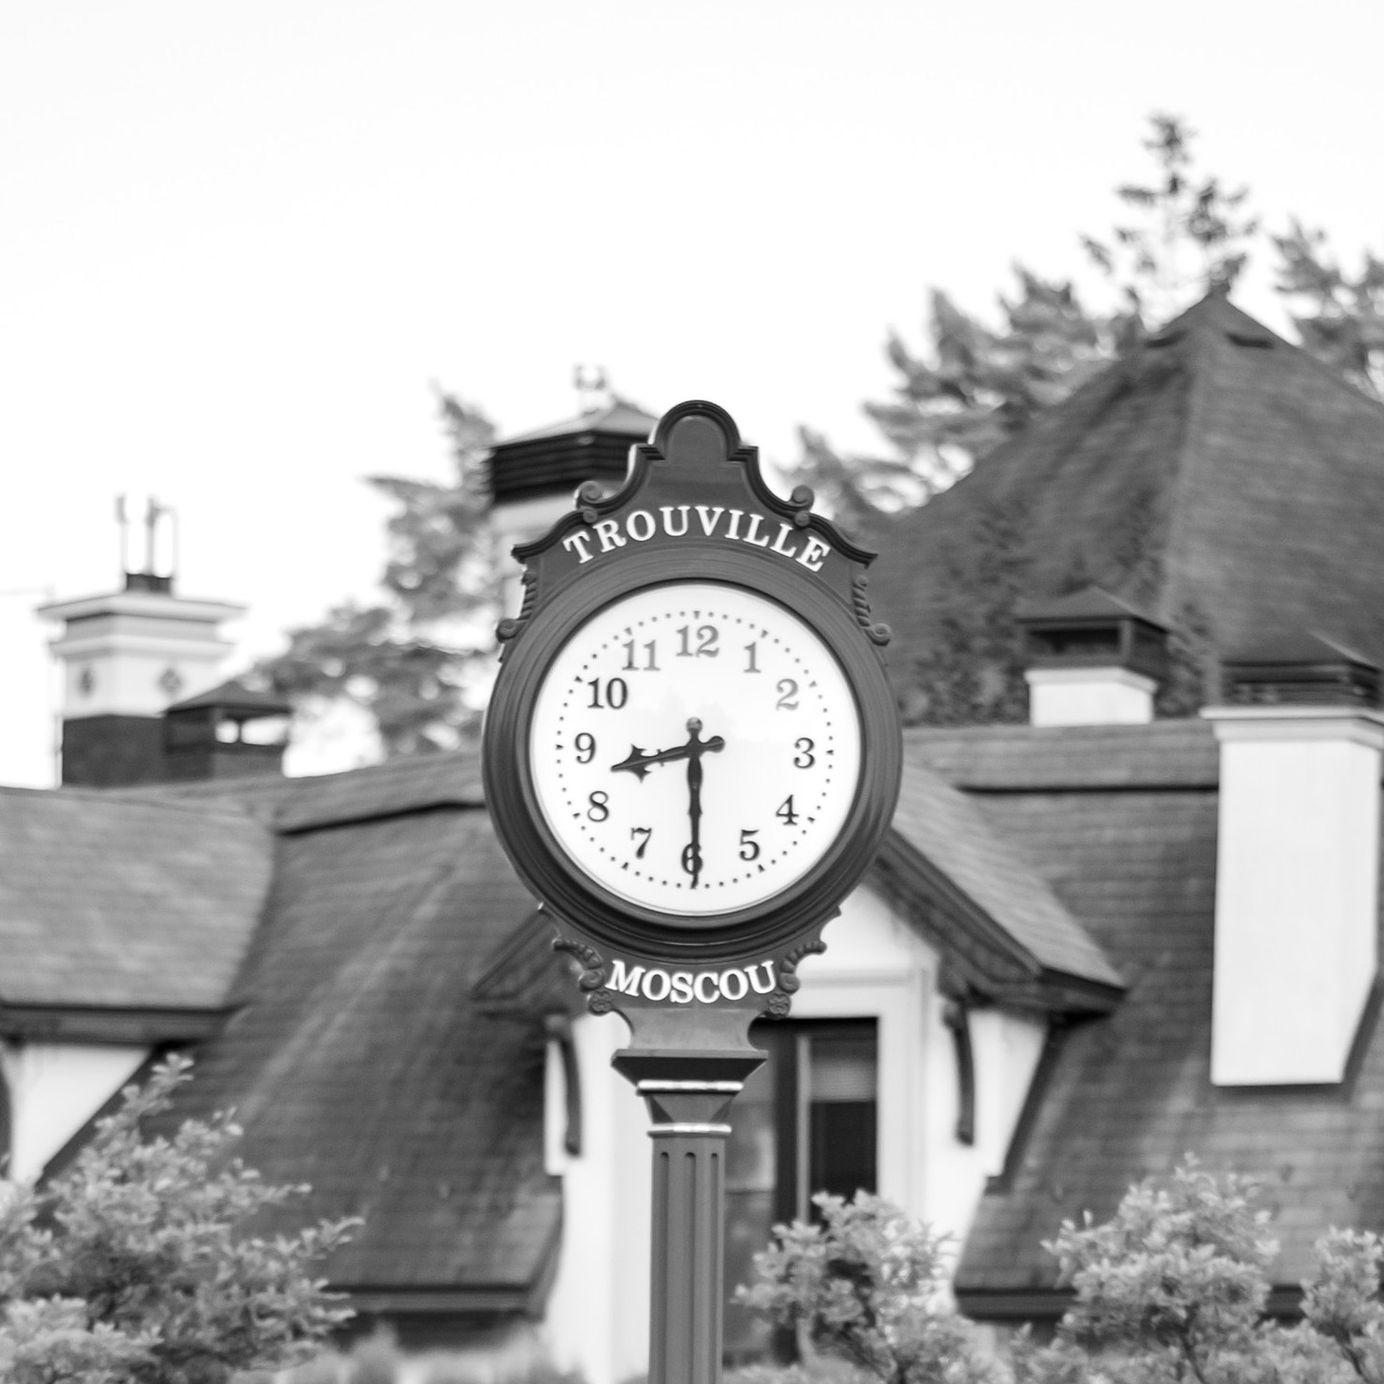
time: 8:29
